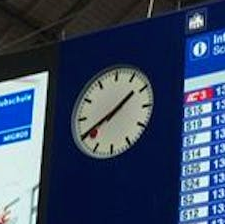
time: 1:40
